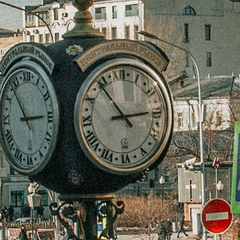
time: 2:54
